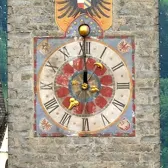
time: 12:00
